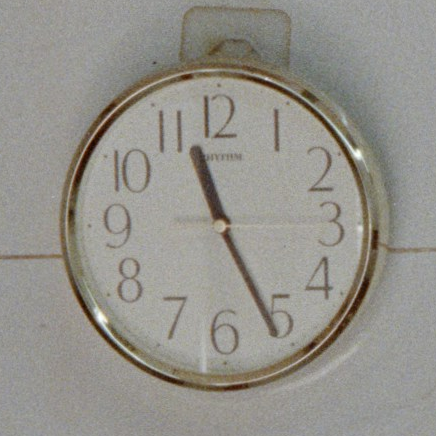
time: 11:25
